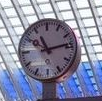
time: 11:13
